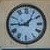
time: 1:44
